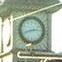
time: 2:42
